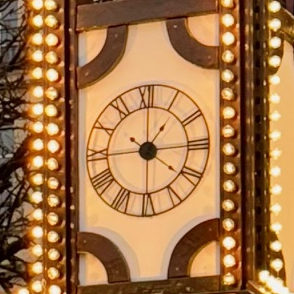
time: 1:14
